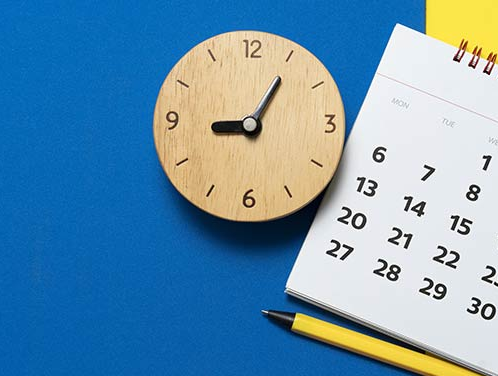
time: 9:05
